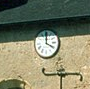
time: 4:00
